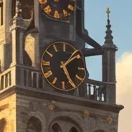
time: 5:08
